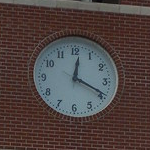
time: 12:19
